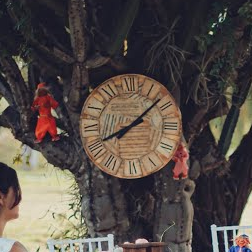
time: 8:08
